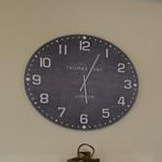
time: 12:03
